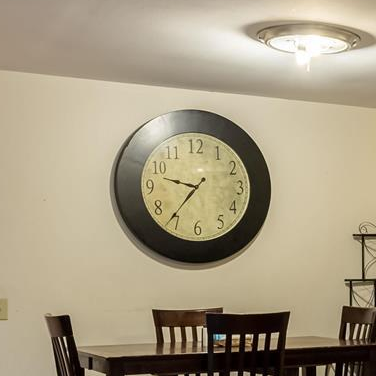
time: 9:36
